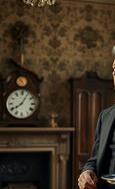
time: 8:06
